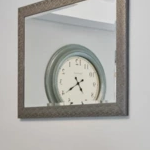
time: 4:39
